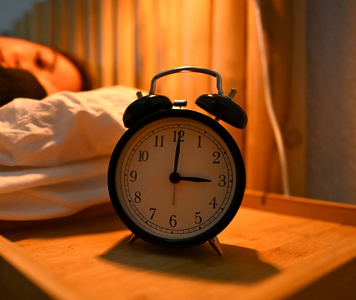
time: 3:00
